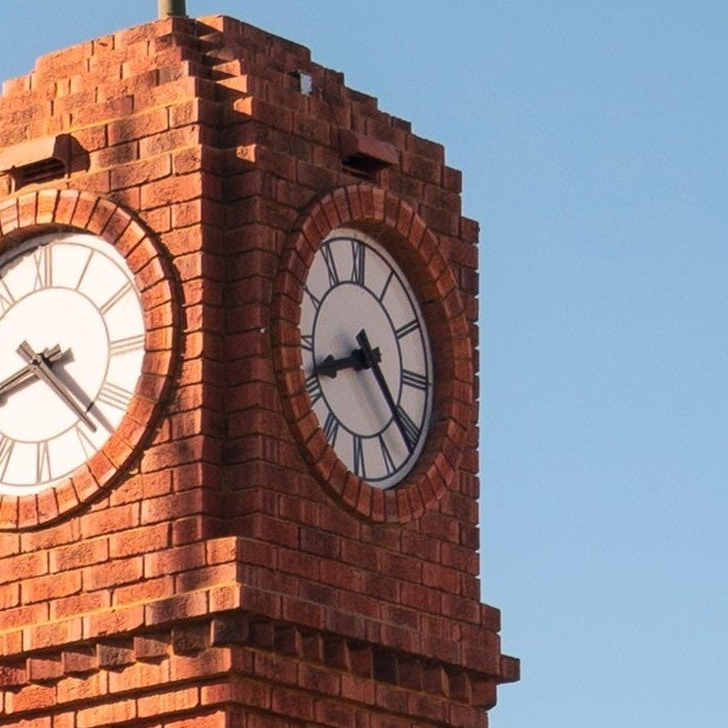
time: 8:21
